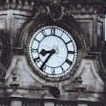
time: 8:36
